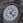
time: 1:22
